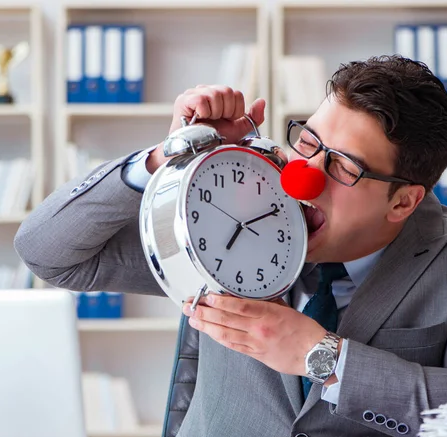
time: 7:10
